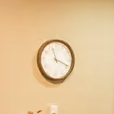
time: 11:18
